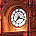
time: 7:17
